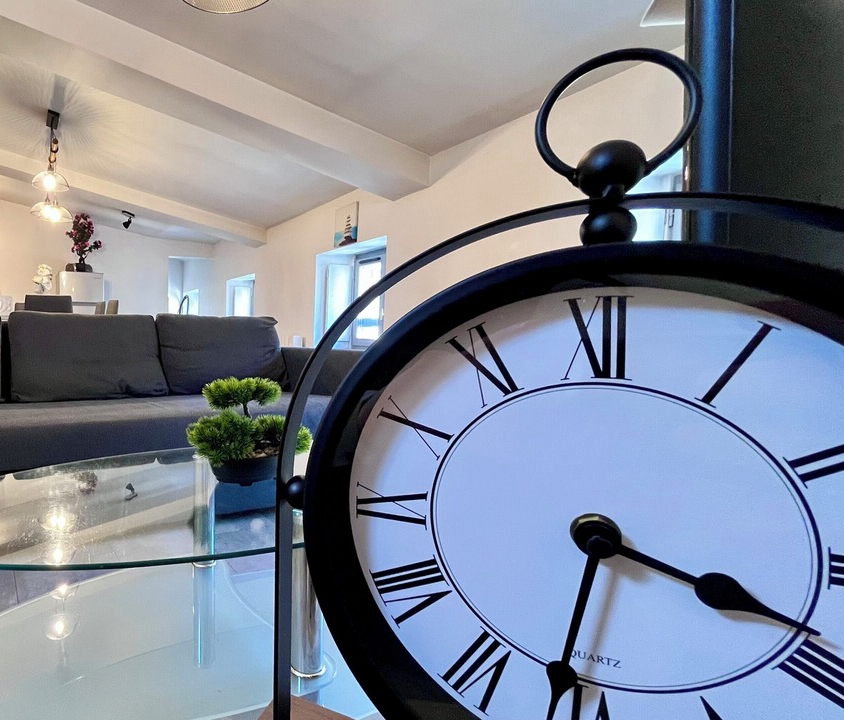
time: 3:31
